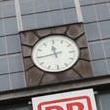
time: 11:44
